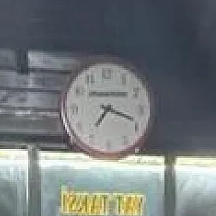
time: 7:18
